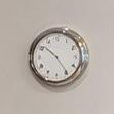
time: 10:24
